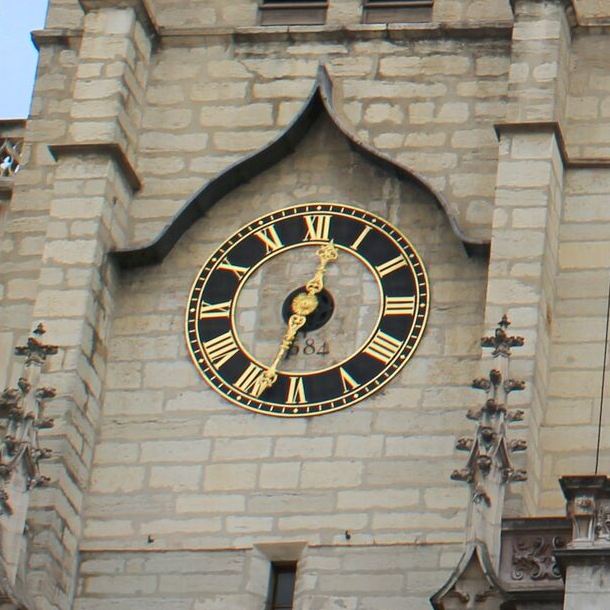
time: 12:32
